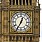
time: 12:34
